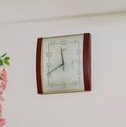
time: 11:41
